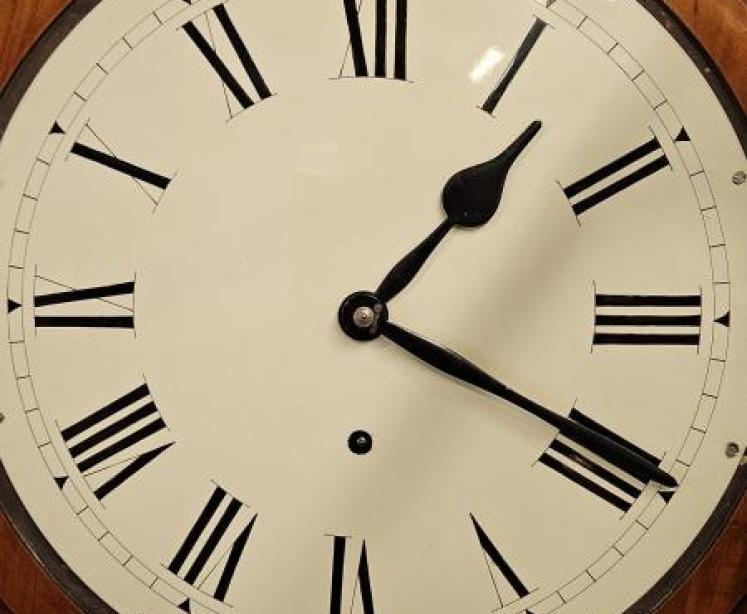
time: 1:19
